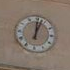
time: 12:02
